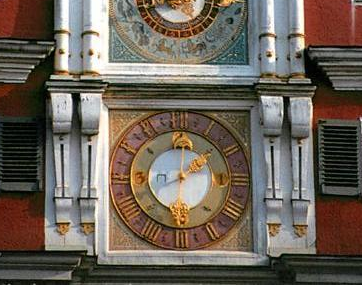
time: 2:01
